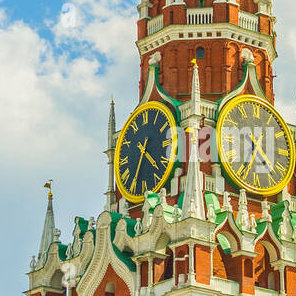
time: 4:34
